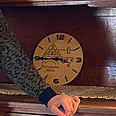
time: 3:44
